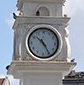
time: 10:24
